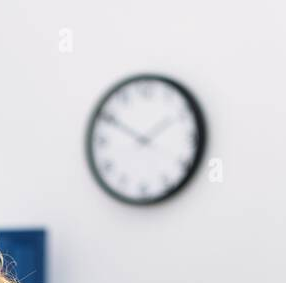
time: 1:50
